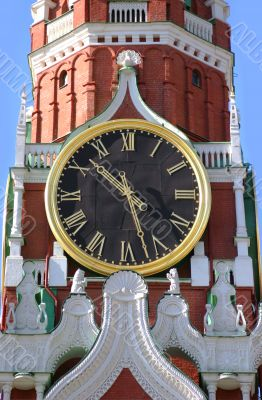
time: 10:27
